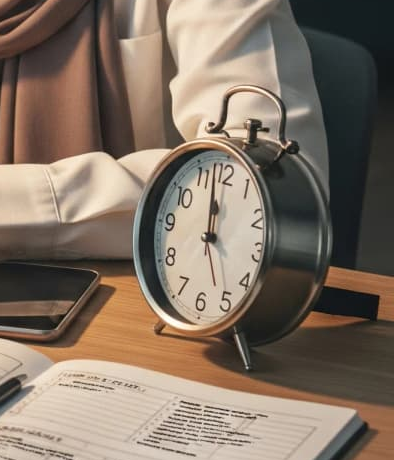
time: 11:58
